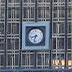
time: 8:32
